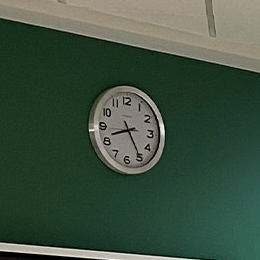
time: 8:24
